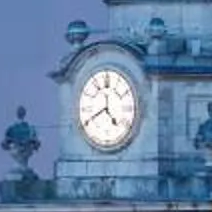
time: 4:40
